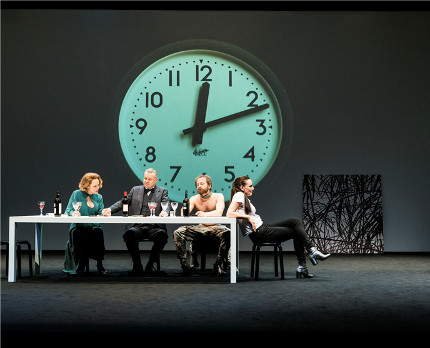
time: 12:11
